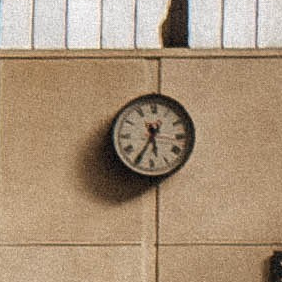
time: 5:35
